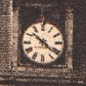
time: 10:22
